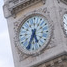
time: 5:34
